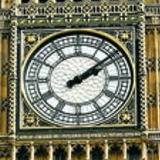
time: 2:08
